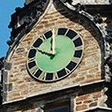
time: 11:48
